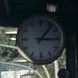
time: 1:14
